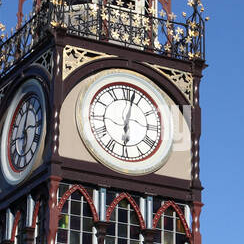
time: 6:02
